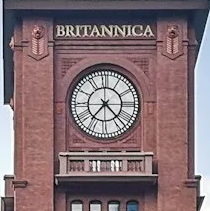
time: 7:23
